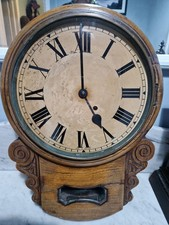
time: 4:59
